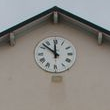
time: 11:52
